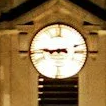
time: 8:45
